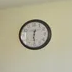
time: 12:29
